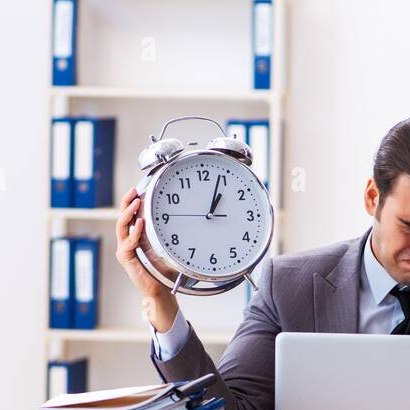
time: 1:03
